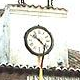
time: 10:22
